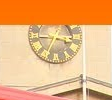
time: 3:34
